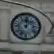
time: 12:07
